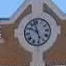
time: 9:57
